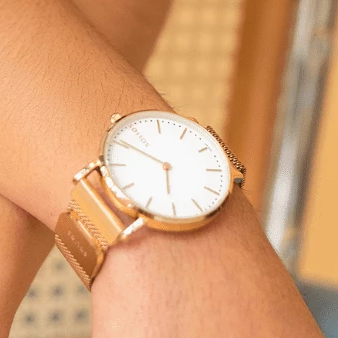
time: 5:50
